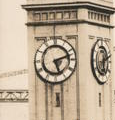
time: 5:12
